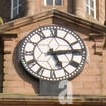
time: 5:13
